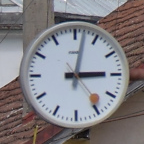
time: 3:02
